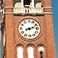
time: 2:11
